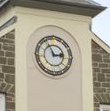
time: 2:56
